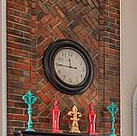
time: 11:45
